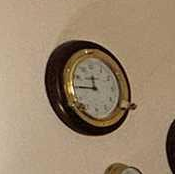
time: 11:45
